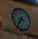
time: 3:36
